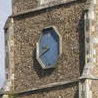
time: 8:40
